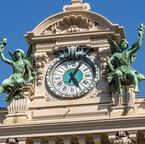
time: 5:05
